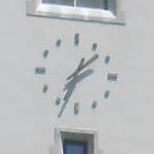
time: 1:33
